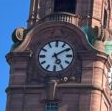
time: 5:09
